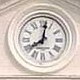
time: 8:01
